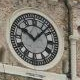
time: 10:07
